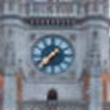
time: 1:36
